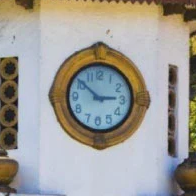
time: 2:51
